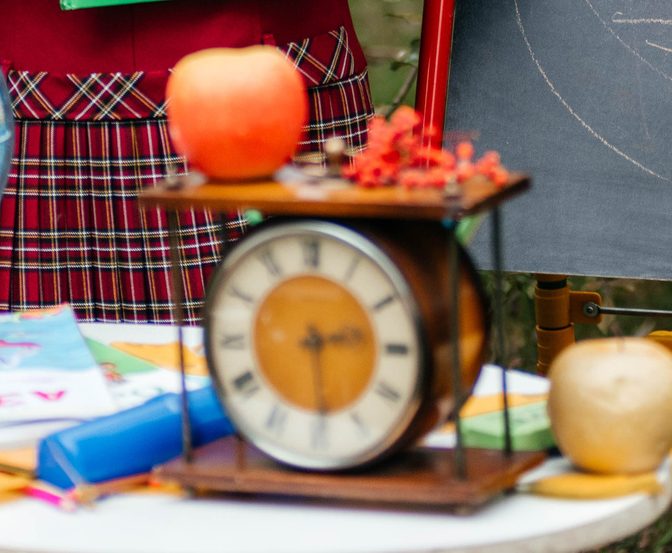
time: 2:29
